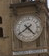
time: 4:39
